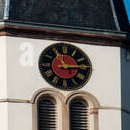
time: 11:14
